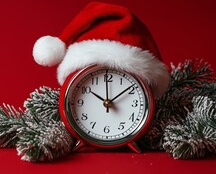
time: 10:08
